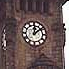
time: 12:08
